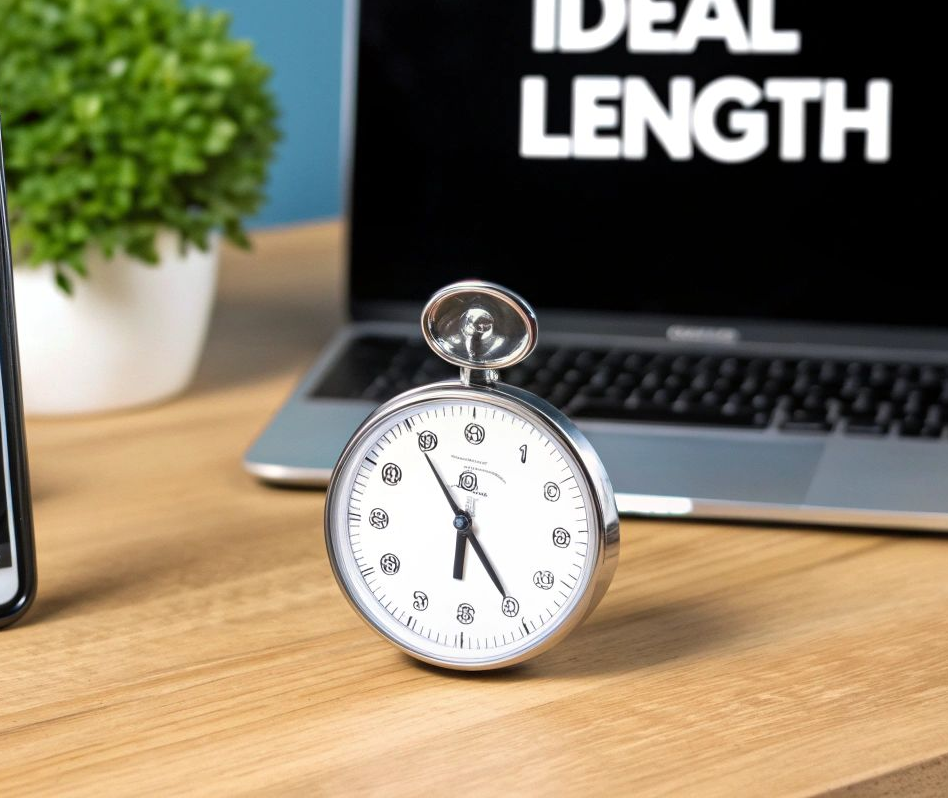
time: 6:24
